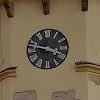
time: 3:47
